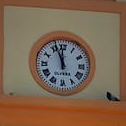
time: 11:56
